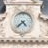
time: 4:37
